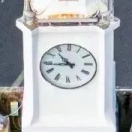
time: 10:43
